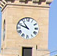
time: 10:48
